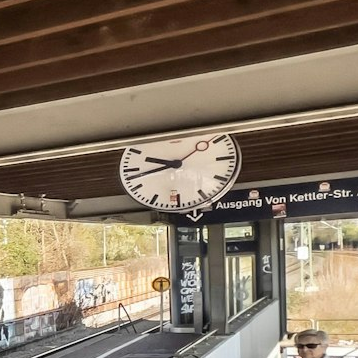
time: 9:42
